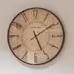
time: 5:09
